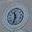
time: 11:33
